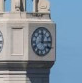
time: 12:14
